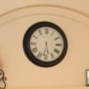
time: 5:31
